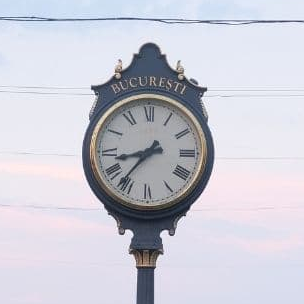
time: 8:36
